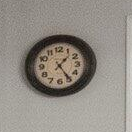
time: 1:24
